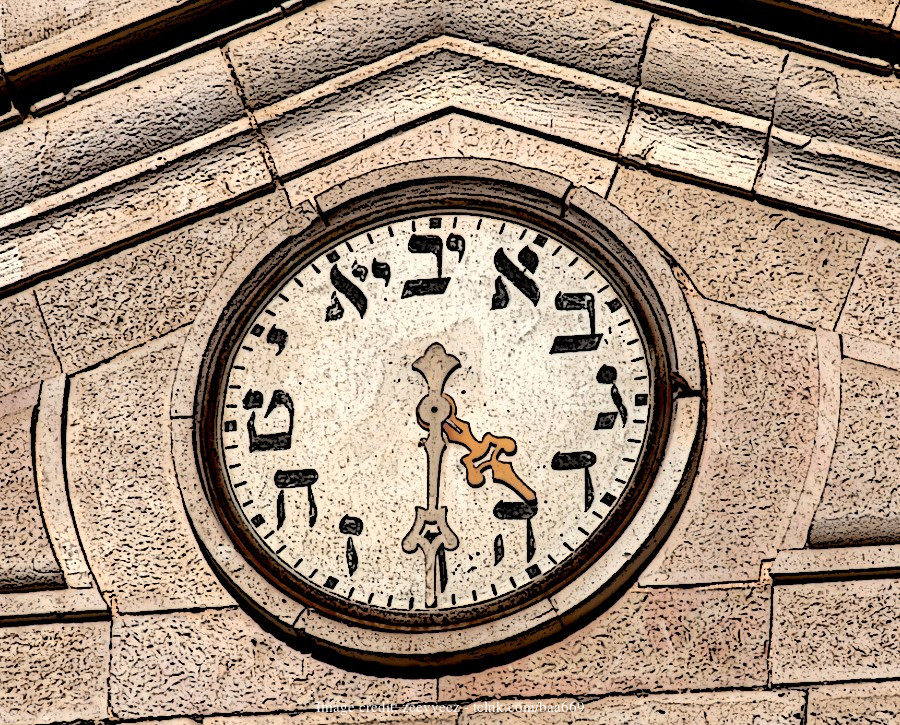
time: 4:29
